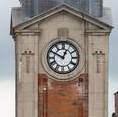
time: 12:49
